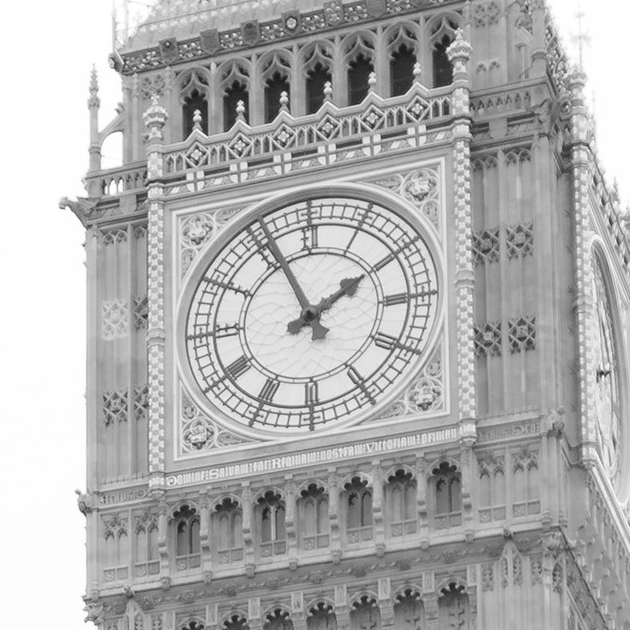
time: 1:56
